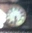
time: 5:31
